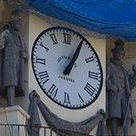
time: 1:04
